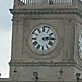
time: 2:15
